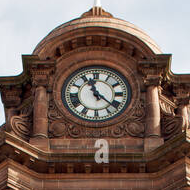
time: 11:21
